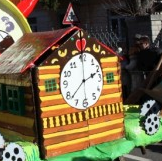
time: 2:38
